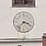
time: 3:37
